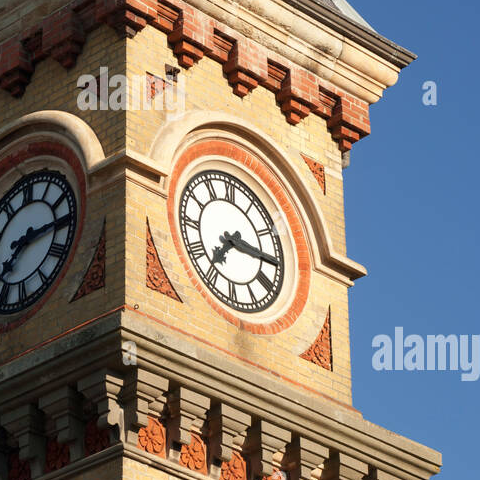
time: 7:15
